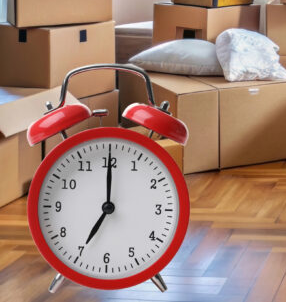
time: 7:00
